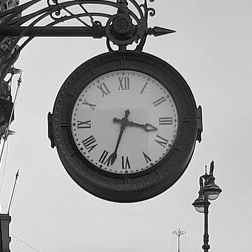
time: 3:33
